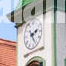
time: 2:25
